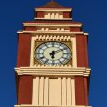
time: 6:10
